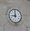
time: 8:59
